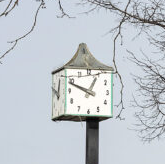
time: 12:49
